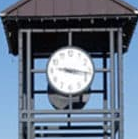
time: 9:16
